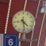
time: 4:28
